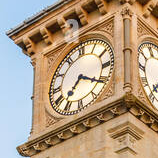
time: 7:20
